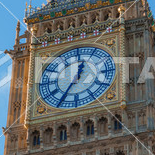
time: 12:35
